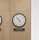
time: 4:52
